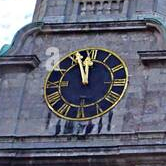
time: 11:56
